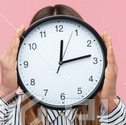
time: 12:13
